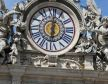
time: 6:01
